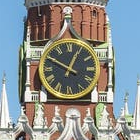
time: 12:49
